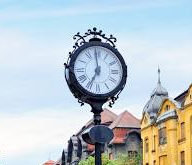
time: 6:59
